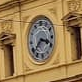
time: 3:38
